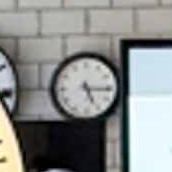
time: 5:15
